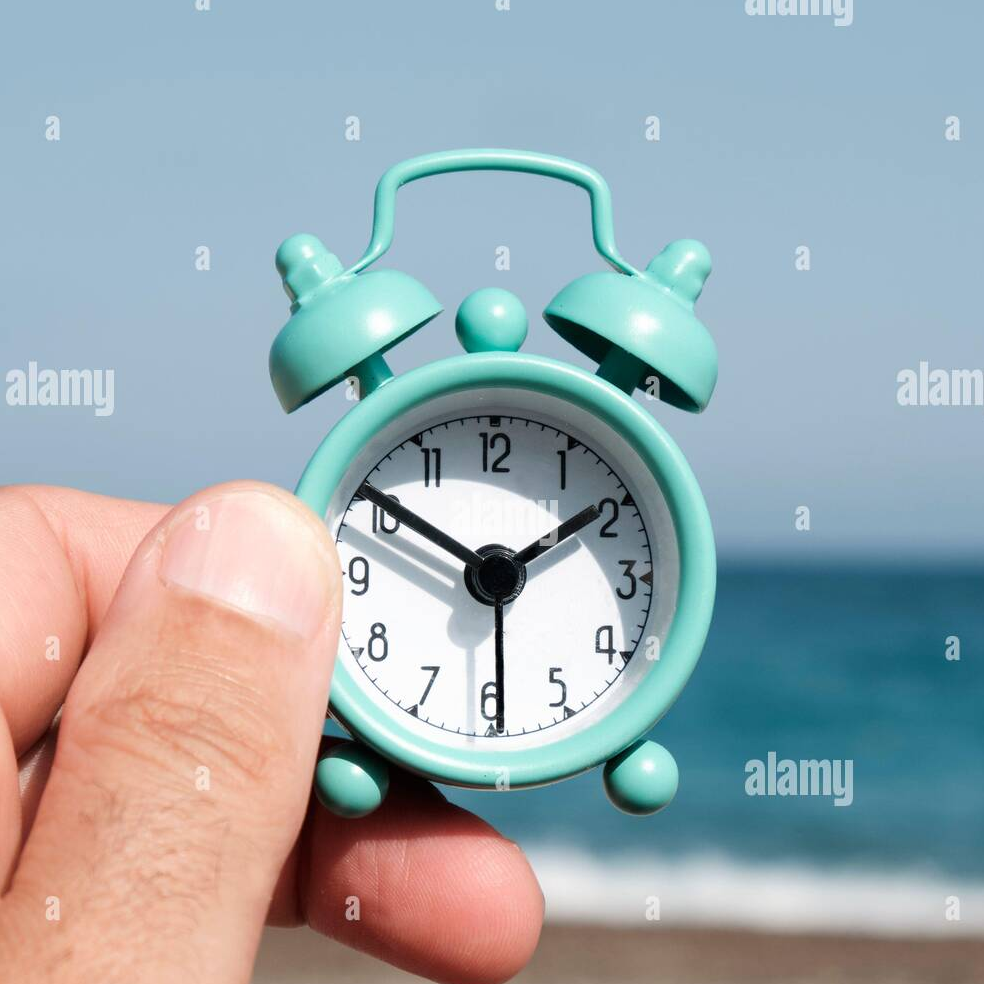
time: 1:50
